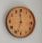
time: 11:33
